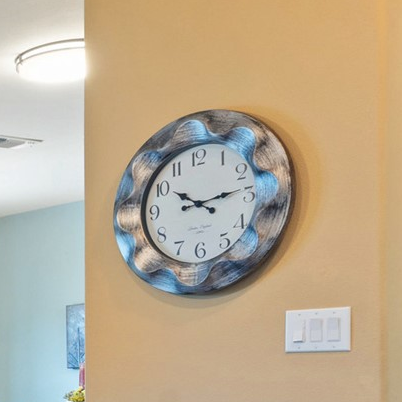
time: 10:13
